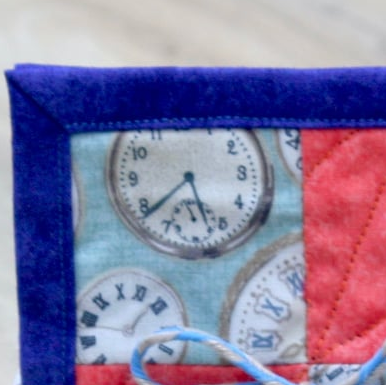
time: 5:38
